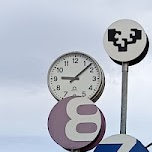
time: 9:07
